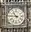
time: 10:45
